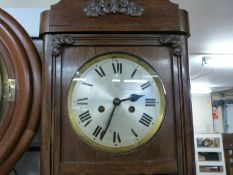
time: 2:33
